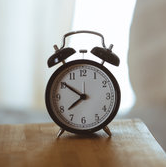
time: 7:50
